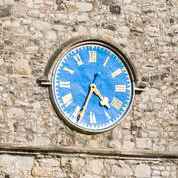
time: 4:34
